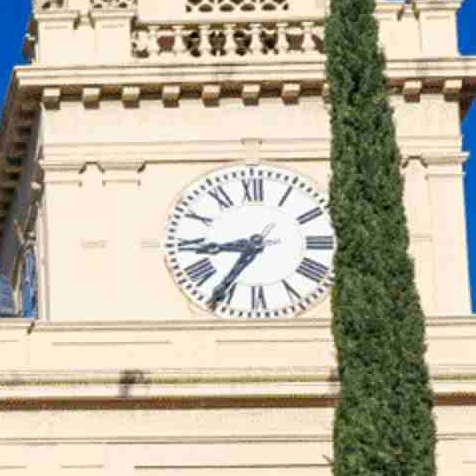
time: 8:35
